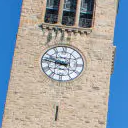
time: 8:47
